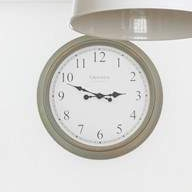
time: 2:48
